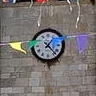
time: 1:22
